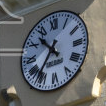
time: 10:36
